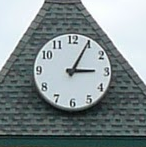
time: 3:04
